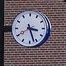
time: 3:27
